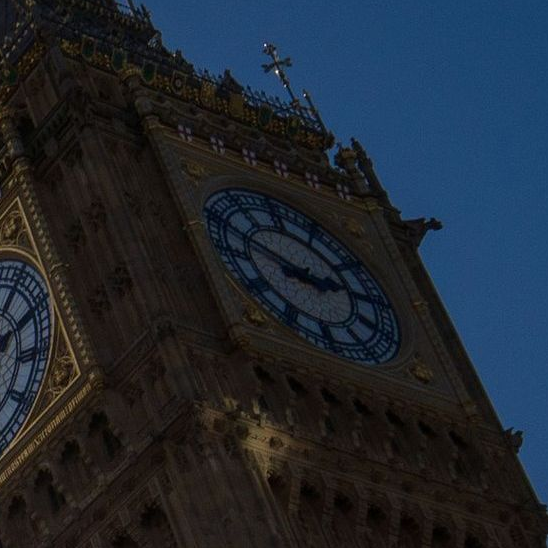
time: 2:48
